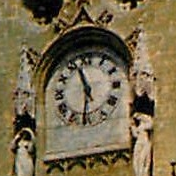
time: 11:31
